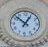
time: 12:52
